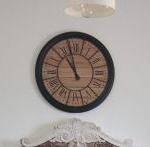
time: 10:58
